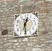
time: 12:28
